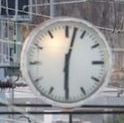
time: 6:02
